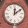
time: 12:09
